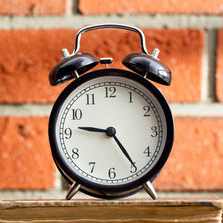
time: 9:24
